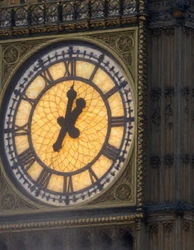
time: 1:01
